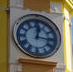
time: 12:16
